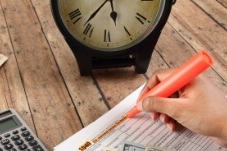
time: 5:36
